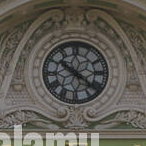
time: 10:21
